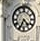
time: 4:34
